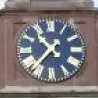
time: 10:36
